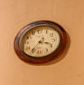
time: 3:36
